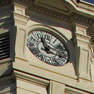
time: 11:17
